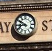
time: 8:50
